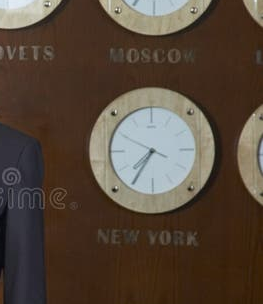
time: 7:34
